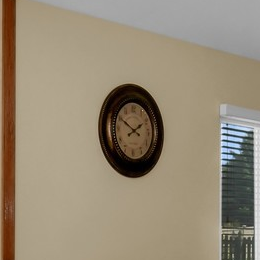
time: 1:50
